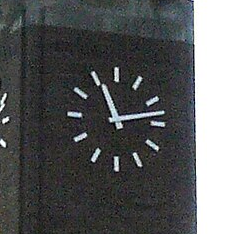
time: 11:13
